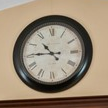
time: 10:45
